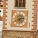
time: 2:40
